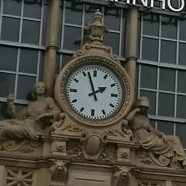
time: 1:56
